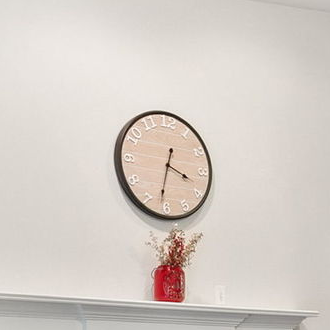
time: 3:31
